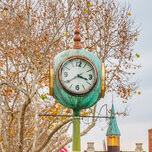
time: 3:39
